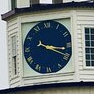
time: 3:19
